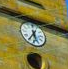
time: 5:35
